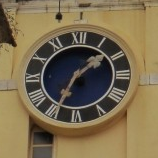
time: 1:34
